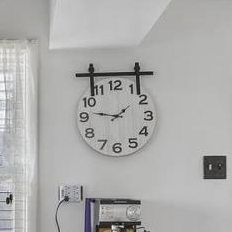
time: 1:46
